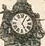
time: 5:04
